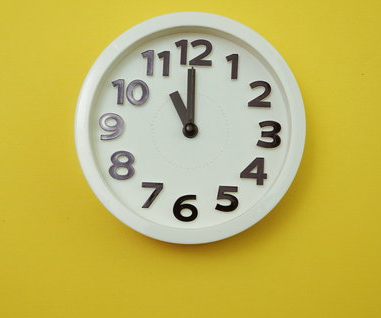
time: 10:59
